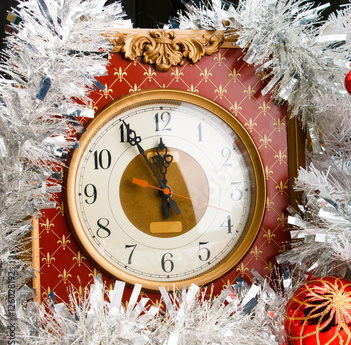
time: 11:55
